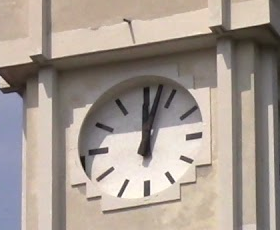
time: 12:02
